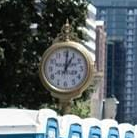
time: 1:01
